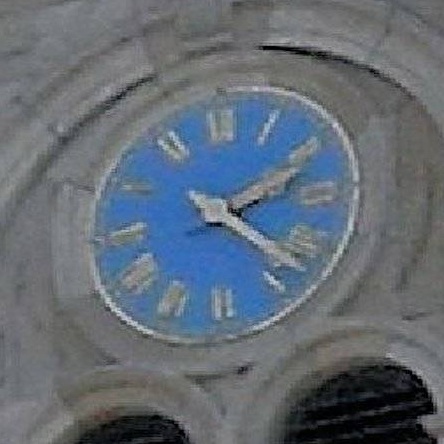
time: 2:22
